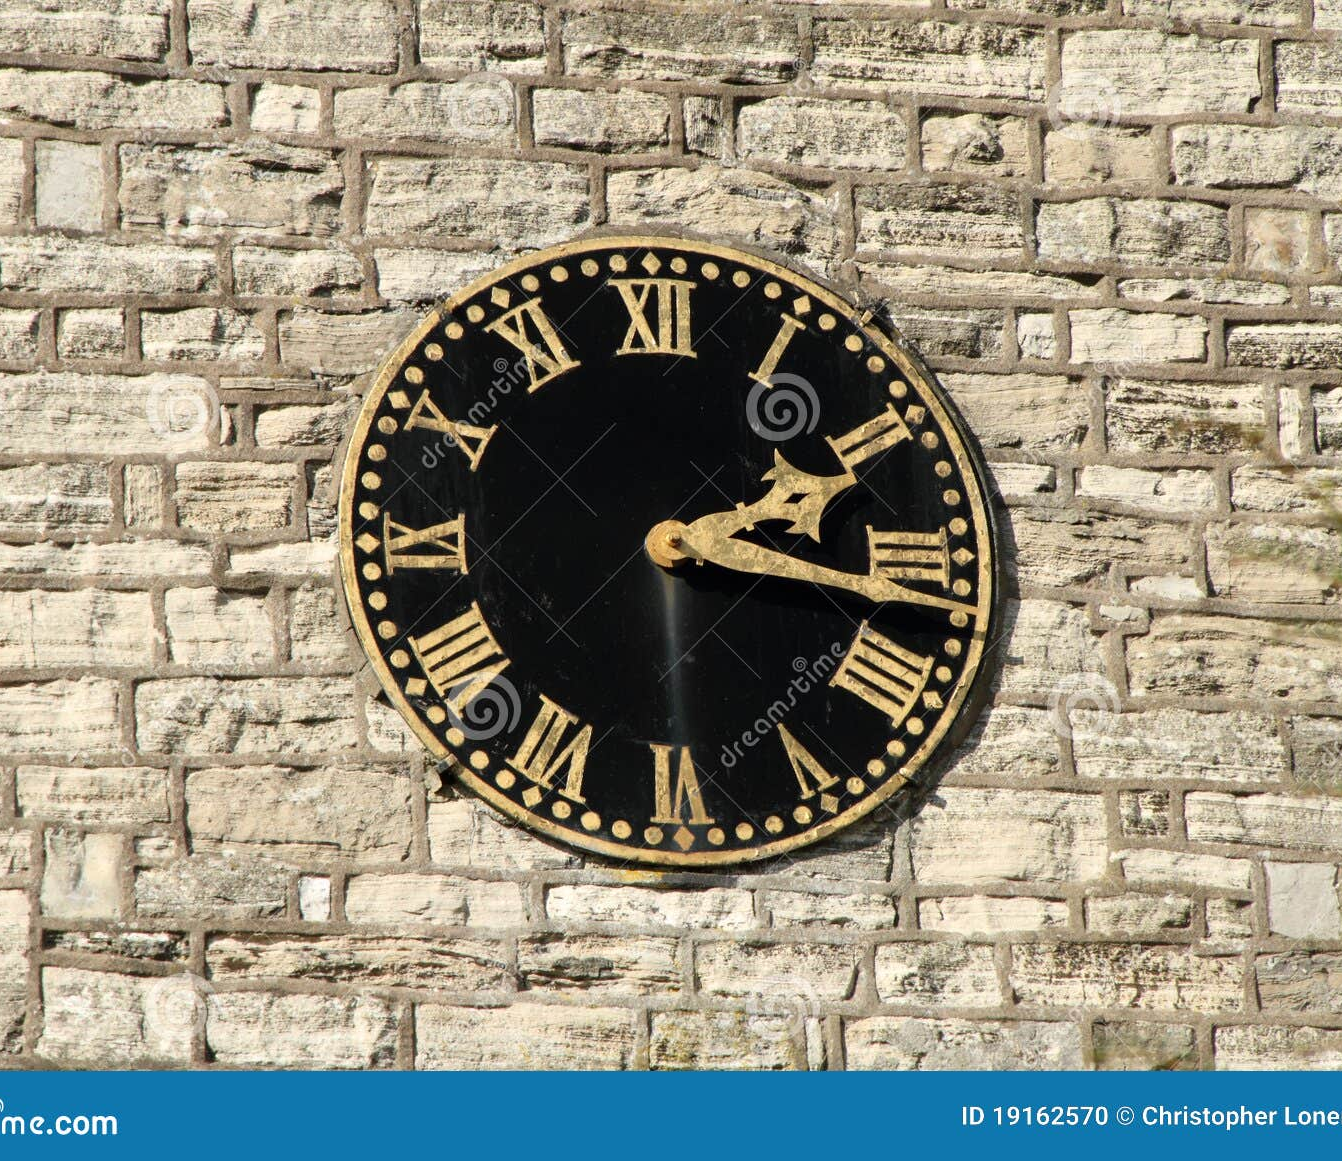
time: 2:17
